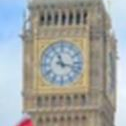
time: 11:17
